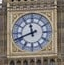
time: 11:41
